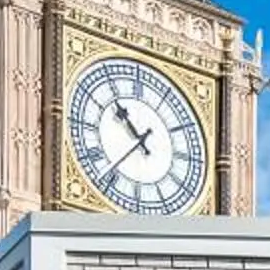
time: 10:36
